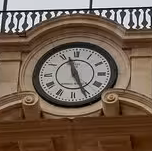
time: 11:25
